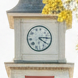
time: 4:14
